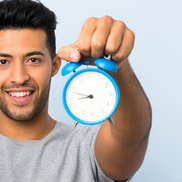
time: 8:47
